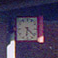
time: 6:21
